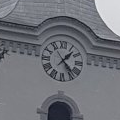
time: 1:23
